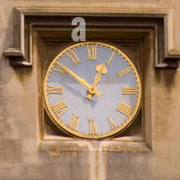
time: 12:51
